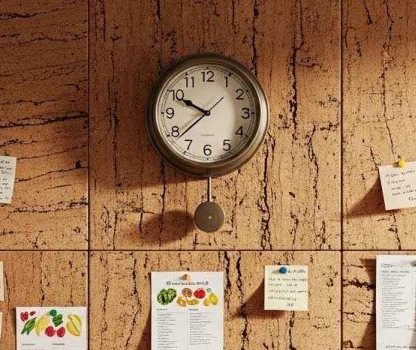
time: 9:50
